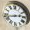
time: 2:42
